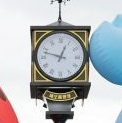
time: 12:47
